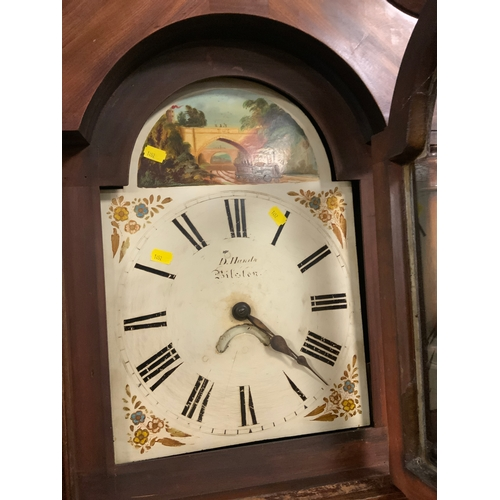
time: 4:21
